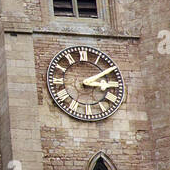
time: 3:10
